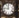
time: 11:46
